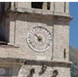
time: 6:52
